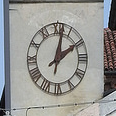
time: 2:02
